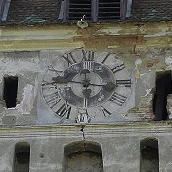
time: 11:46
